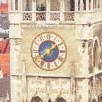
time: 7:09
